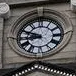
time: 8:48
